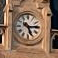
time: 5:14
